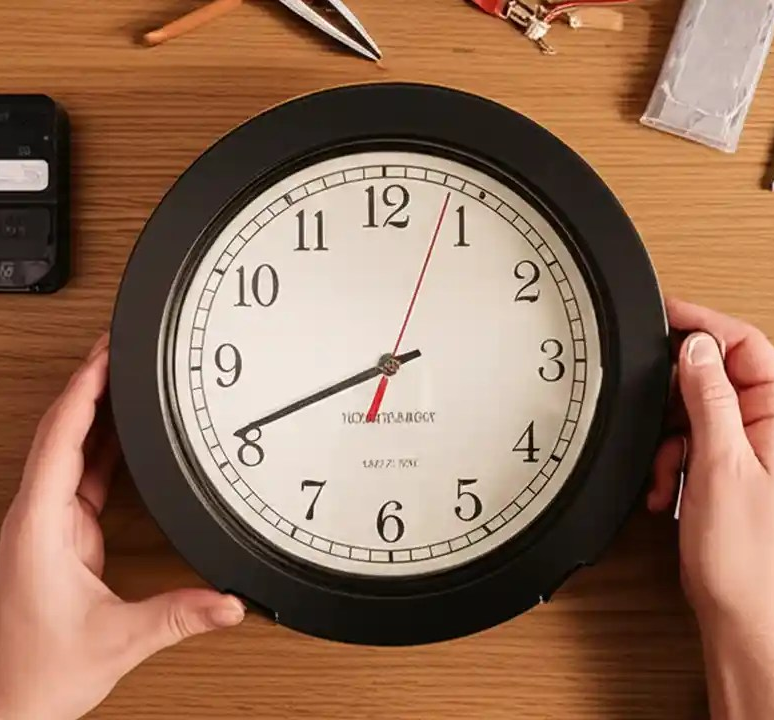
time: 12:41
